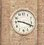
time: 9:18
